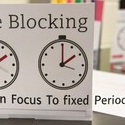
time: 2:00
